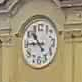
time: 10:45
